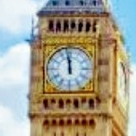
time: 11:58
